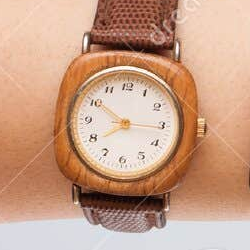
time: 7:50
